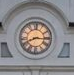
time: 8:15
